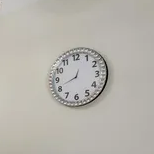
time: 12:41
